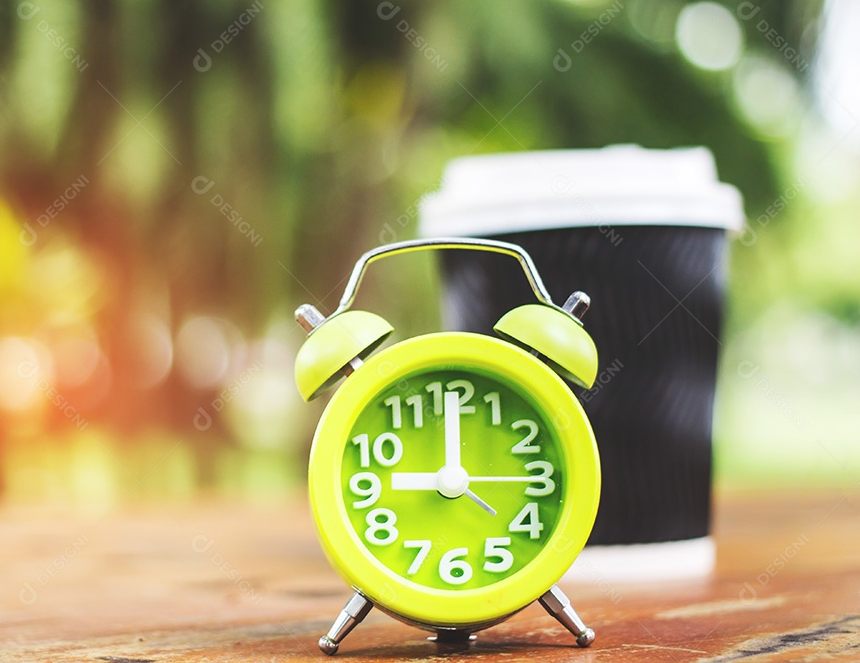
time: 9:00
